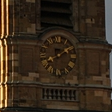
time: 8:09
